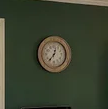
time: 12:36
